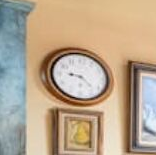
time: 9:22
